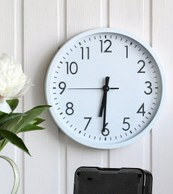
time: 6:30
